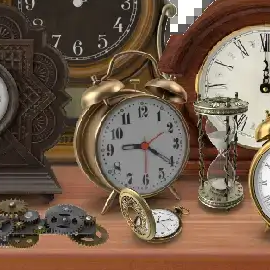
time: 9:21
